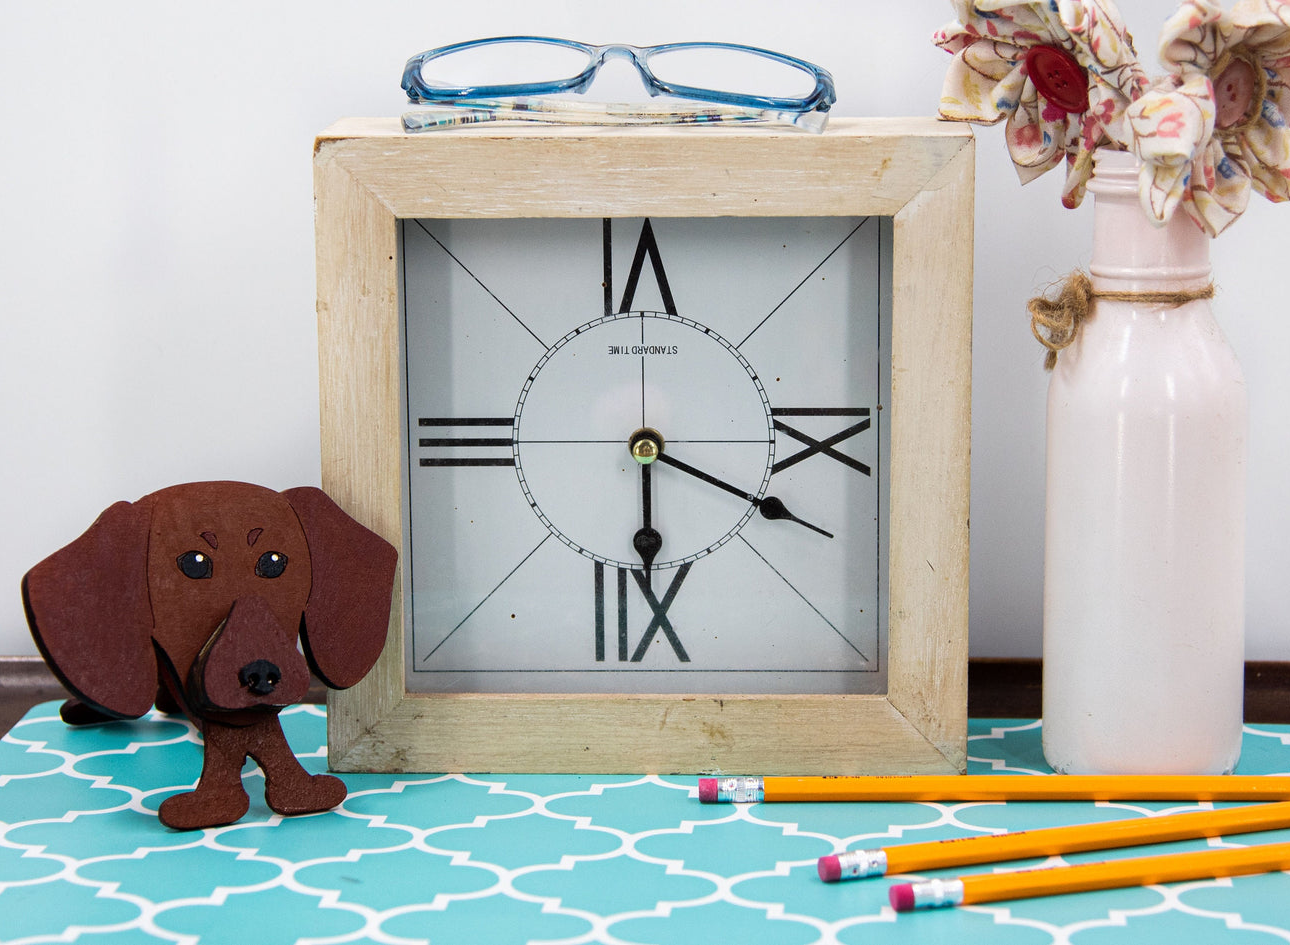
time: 6:18
